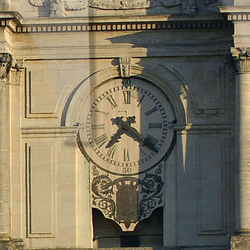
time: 7:20
